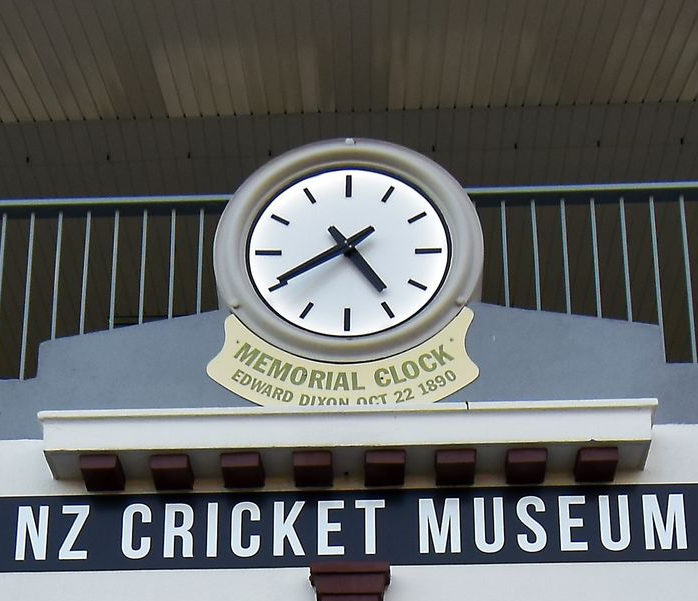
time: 4:40
